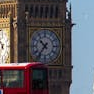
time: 10:36
